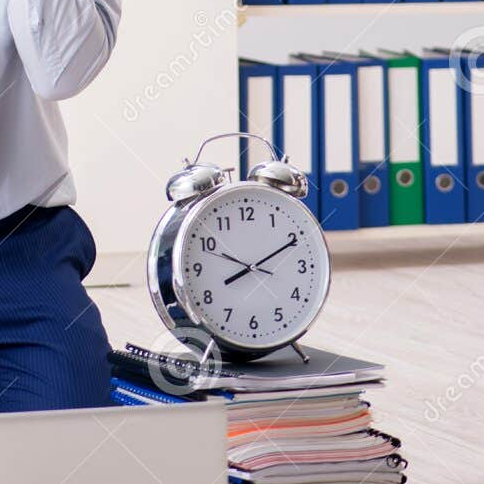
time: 8:10
